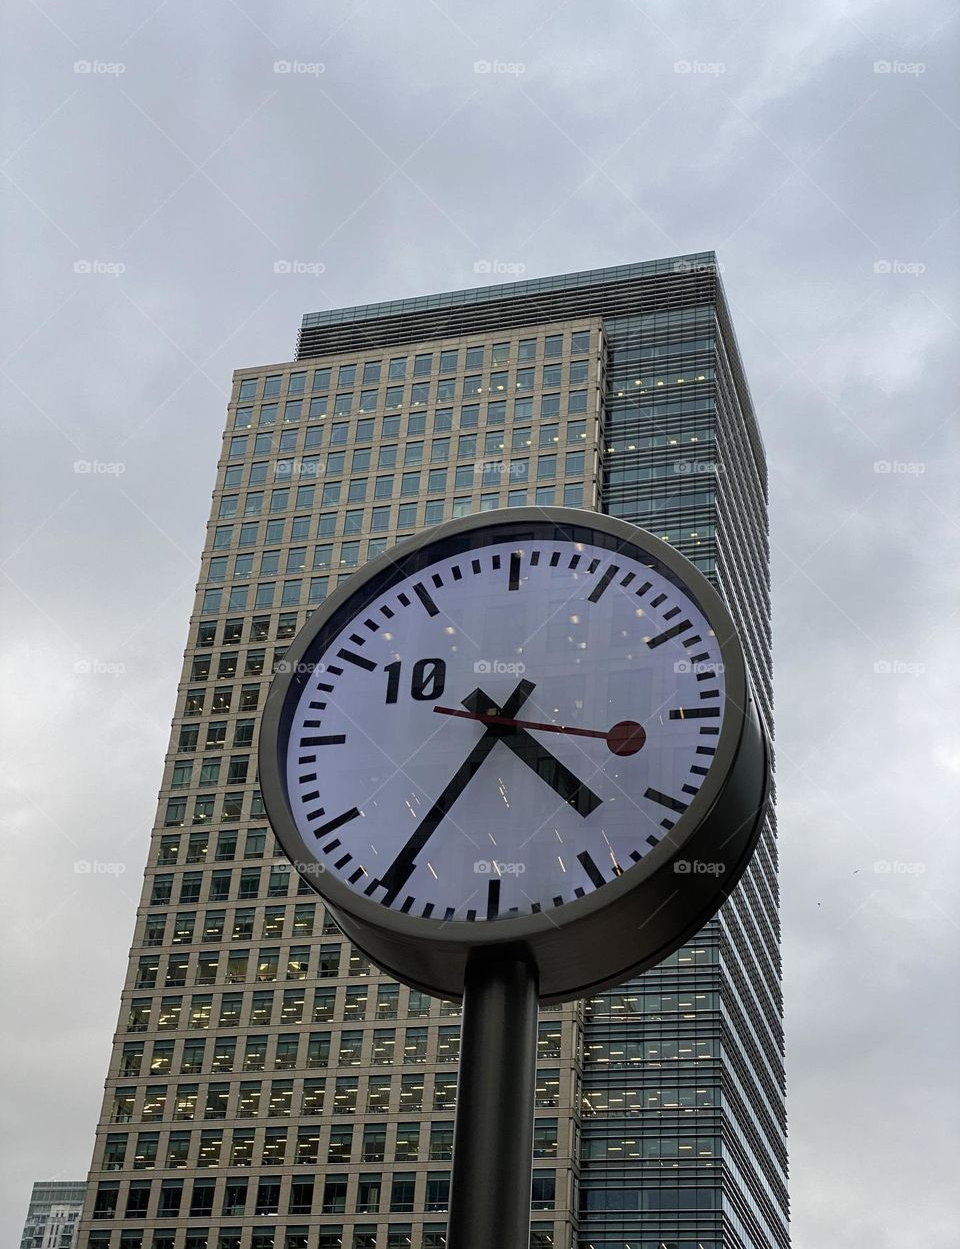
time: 4:35
